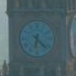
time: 6:22
